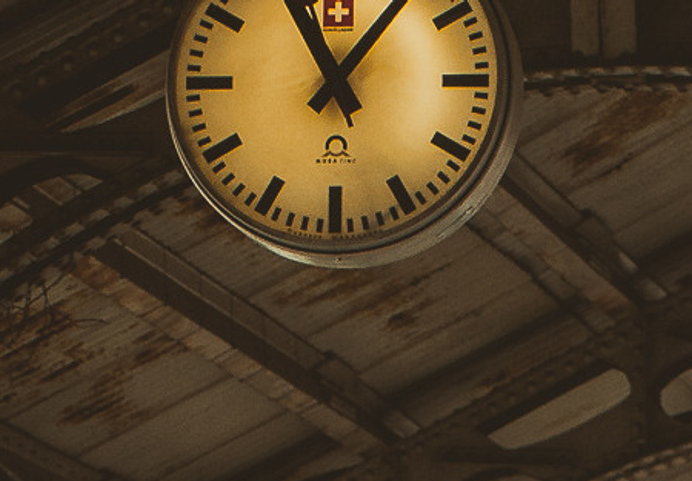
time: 11:06
